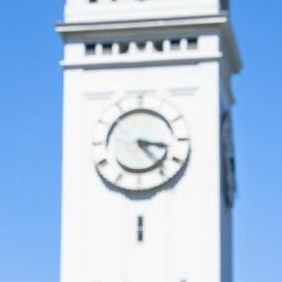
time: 3:23
